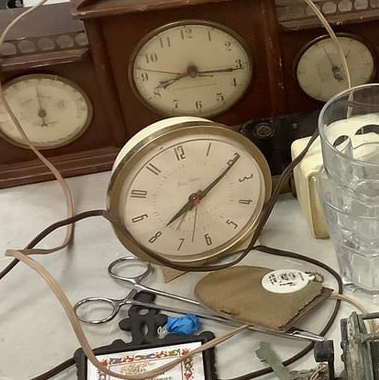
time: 7:06
